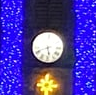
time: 5:41
